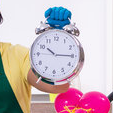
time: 10:14
